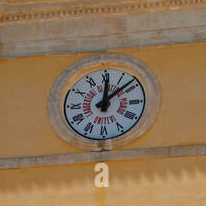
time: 12:08
